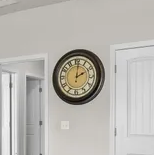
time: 2:01
